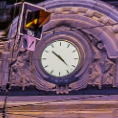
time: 10:22
